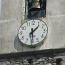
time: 1:29
